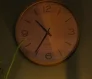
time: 10:35
